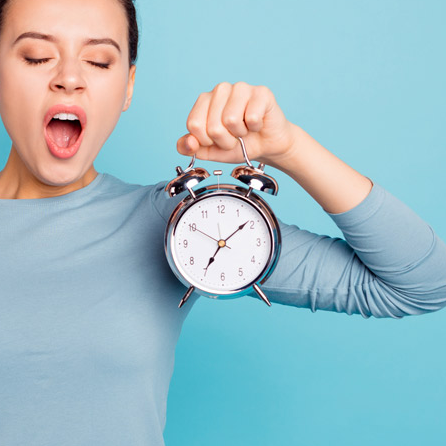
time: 7:08
